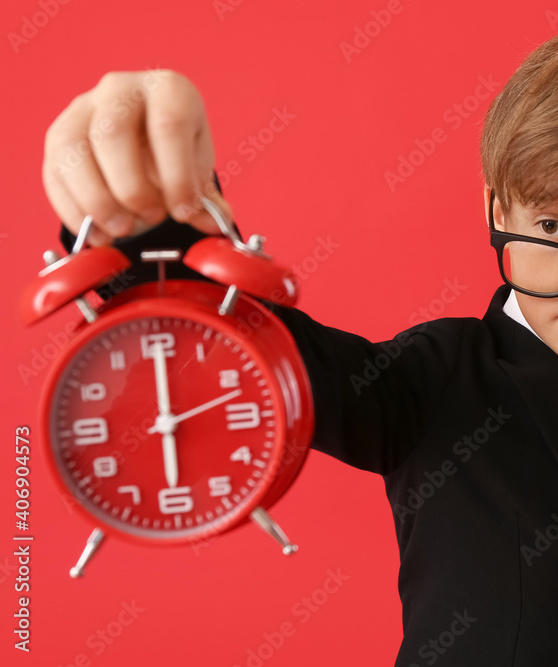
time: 6:00
